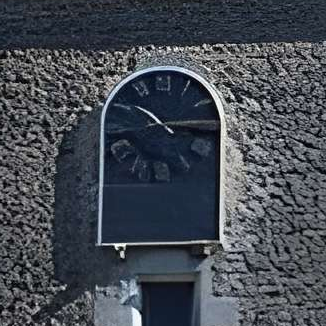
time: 10:14
